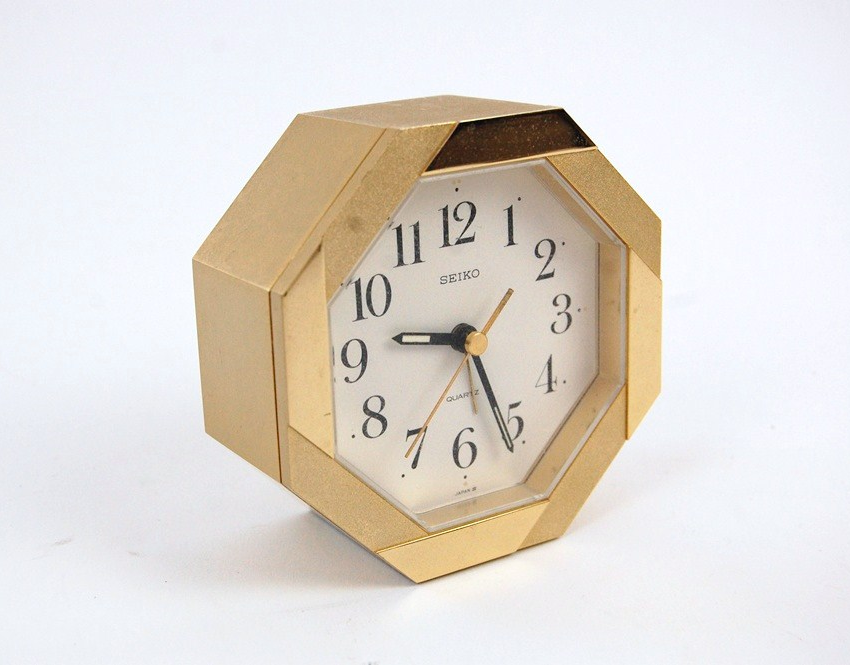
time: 9:25
